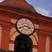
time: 3:40
